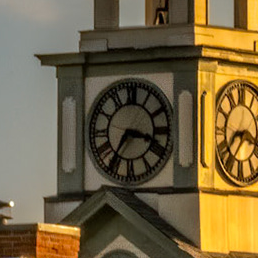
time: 3:35
